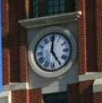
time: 5:00
